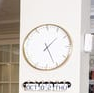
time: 1:26
